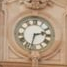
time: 2:32
